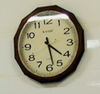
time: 4:28
